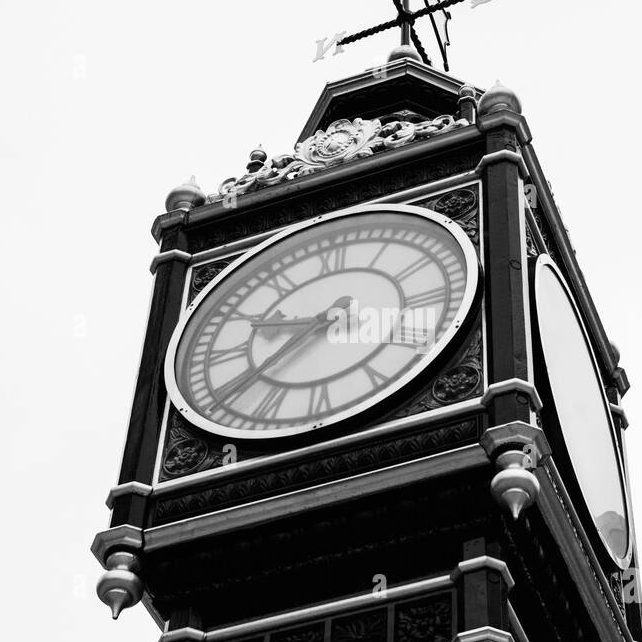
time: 9:39
